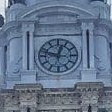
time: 12:47
